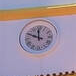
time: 11:48
